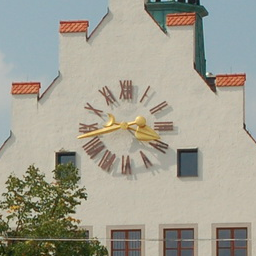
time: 3:42
